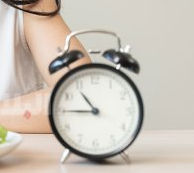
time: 10:45
